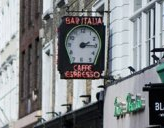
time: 2:15
